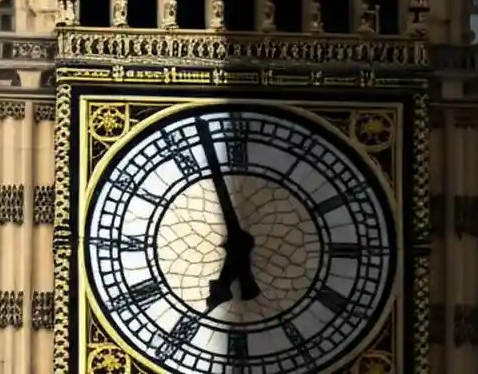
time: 5:56
